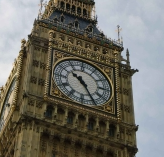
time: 10:25
